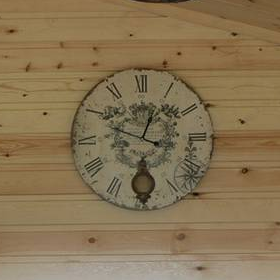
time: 12:48
